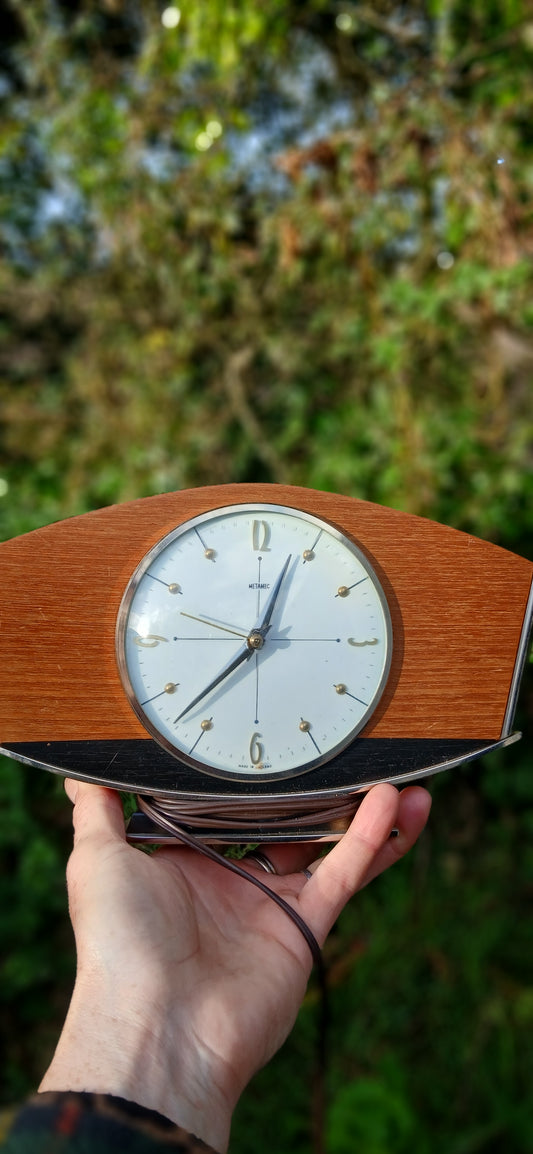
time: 12:37
